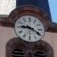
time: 9:20
